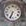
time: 6:33
